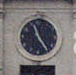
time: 11:24
